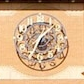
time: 7:06
